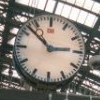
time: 2:52
